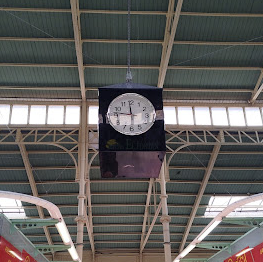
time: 11:46
